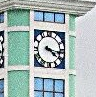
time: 4:16
